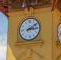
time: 3:09
